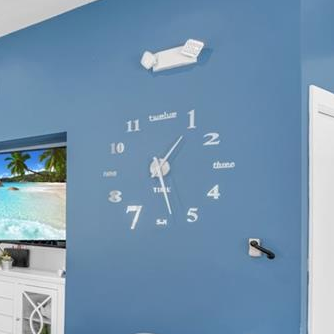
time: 1:28
